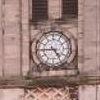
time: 4:44
